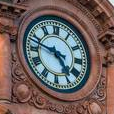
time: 4:47
